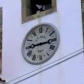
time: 2:44
